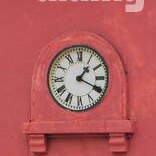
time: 1:19
